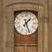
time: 1:26
